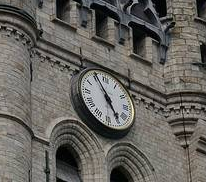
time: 4:55
